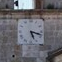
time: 5:17
